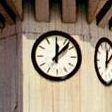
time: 12:07
